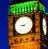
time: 9:11
